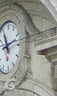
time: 11:12
